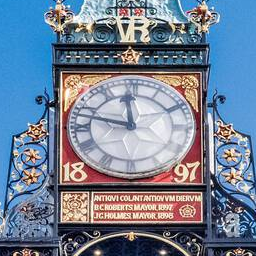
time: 11:47
